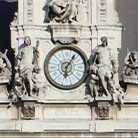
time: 6:05
